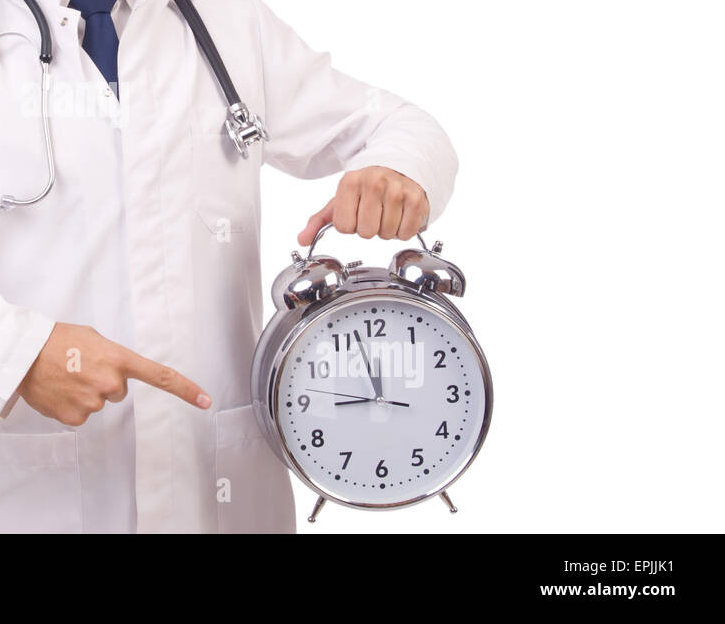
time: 8:57
